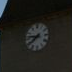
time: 7:46
